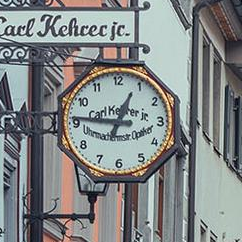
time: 12:46
